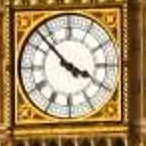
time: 3:52
